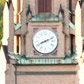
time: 8:11
